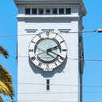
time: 2:19
